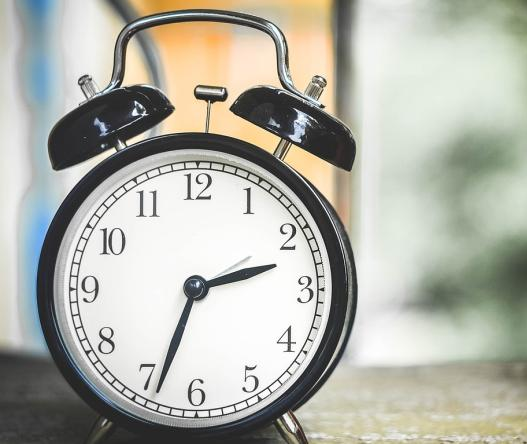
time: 2:33
